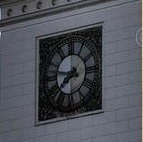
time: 7:47
